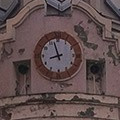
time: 8:57
